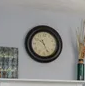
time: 10:25
